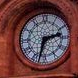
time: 2:32
